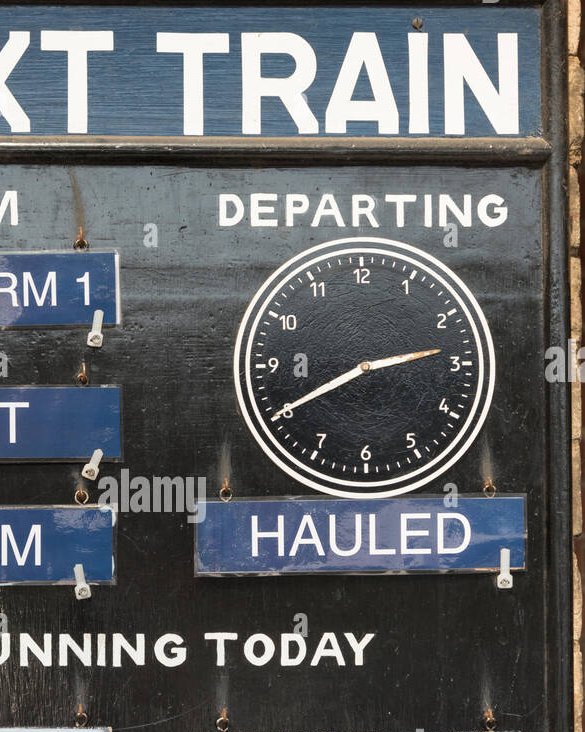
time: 2:40
